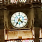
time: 4:35
